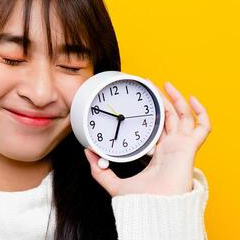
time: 6:50
